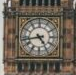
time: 4:43
